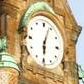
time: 6:03
